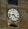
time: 4:42
